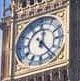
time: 12:23
